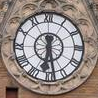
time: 6:28
